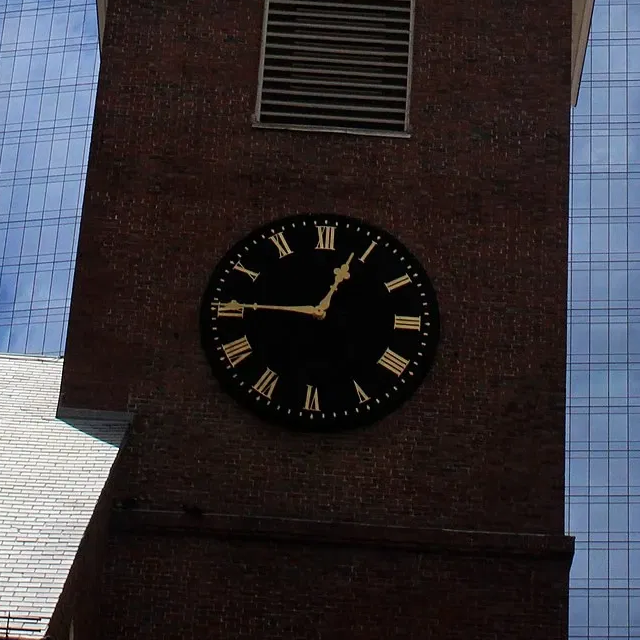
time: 12:45
